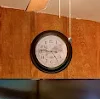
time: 2:46
